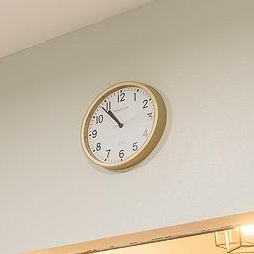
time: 10:53
